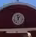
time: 11:35
